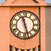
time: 11:27
